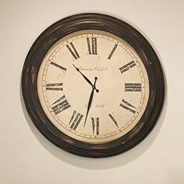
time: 10:32
